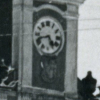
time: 4:42
